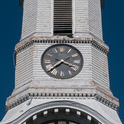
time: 3:38
